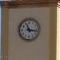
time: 11:16
